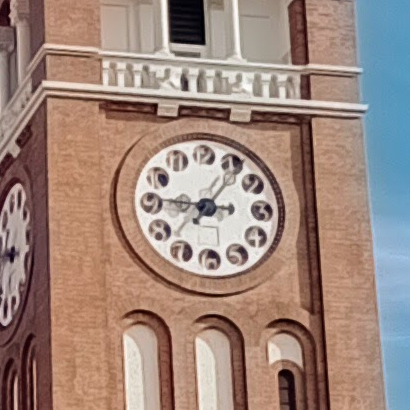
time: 9:06
